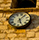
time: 5:05
